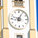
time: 9:04
